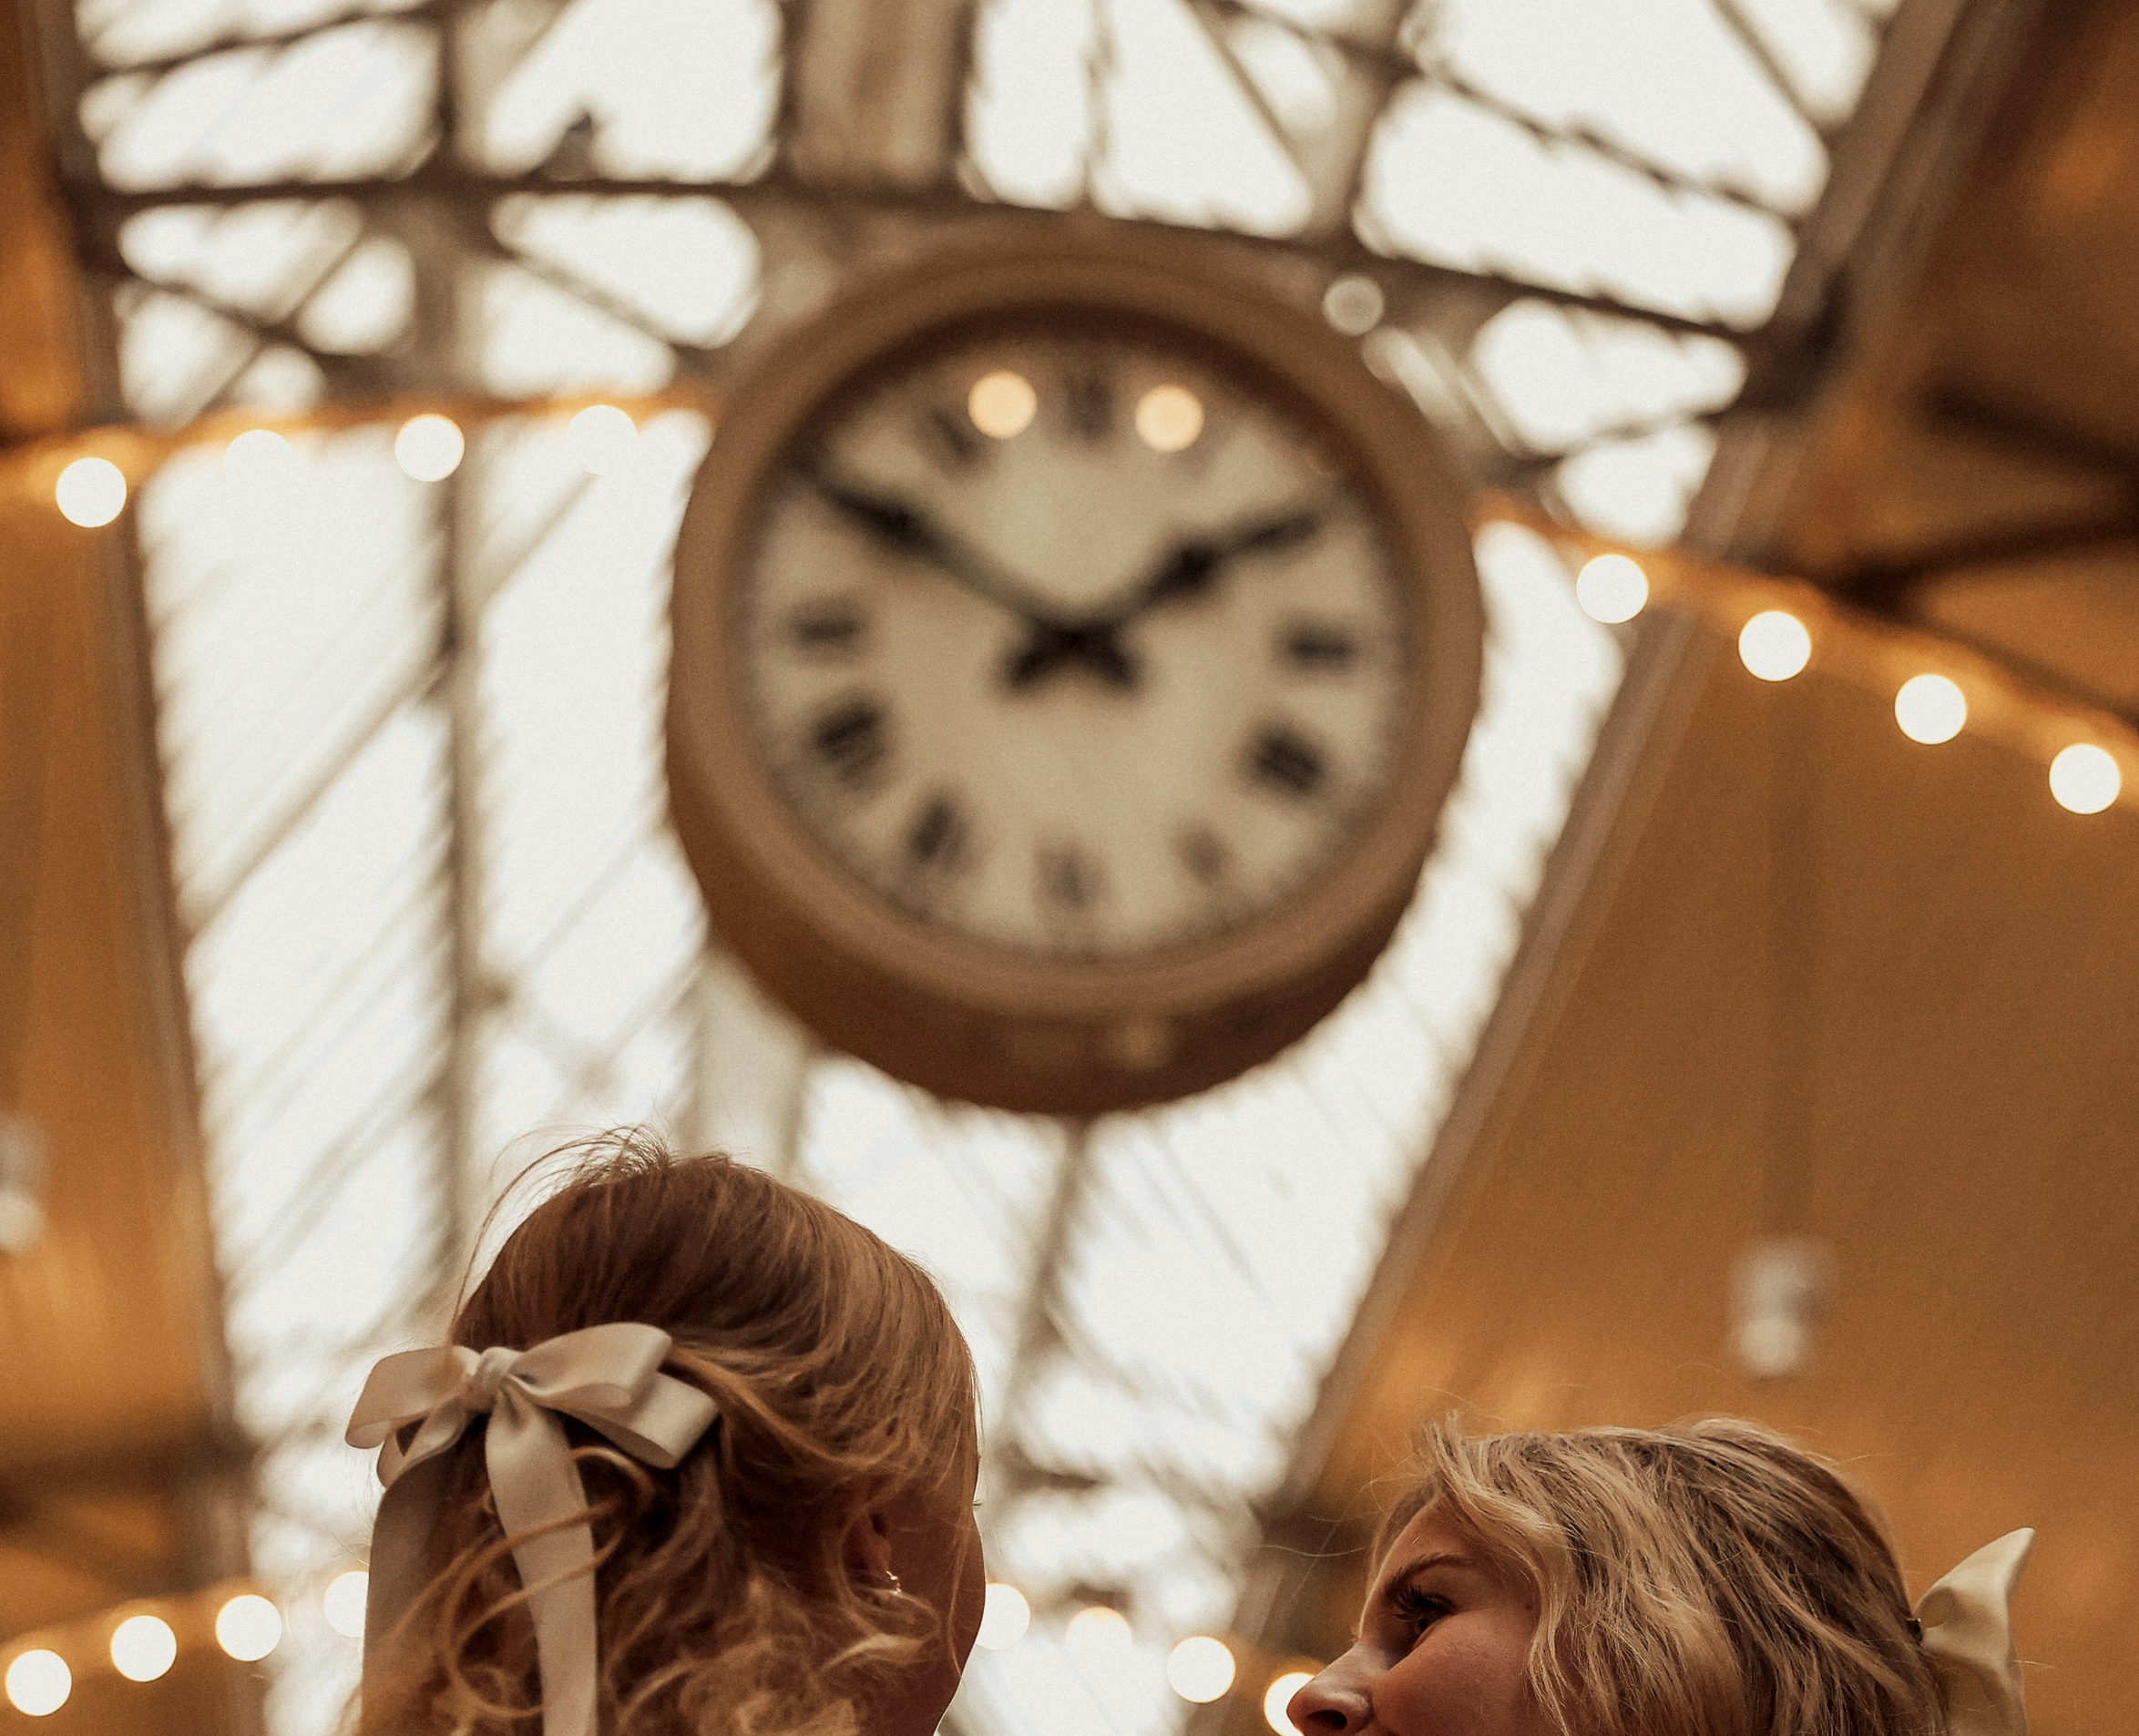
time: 1:50
